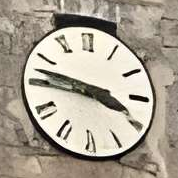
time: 3:47
